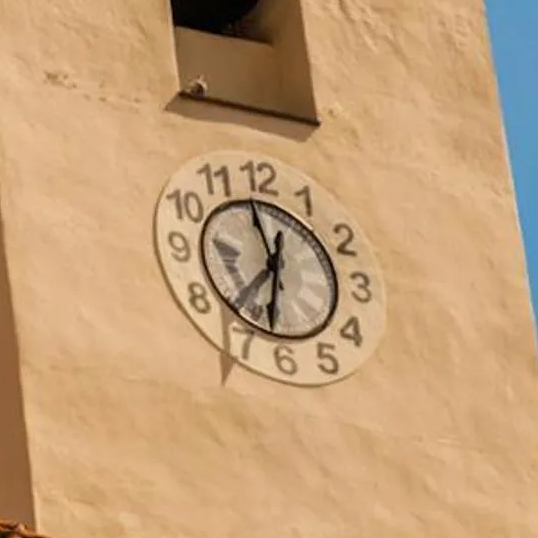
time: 11:32
